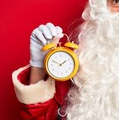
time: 1:49
